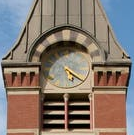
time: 5:21
